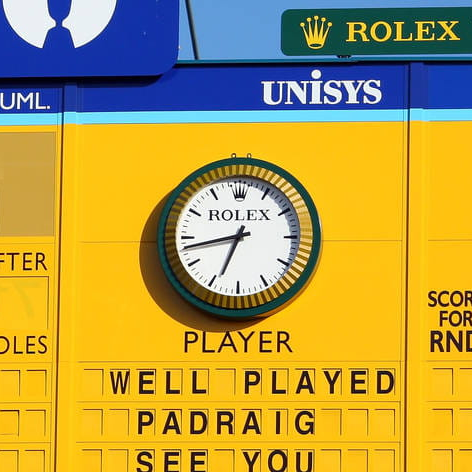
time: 6:42
